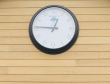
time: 12:45
